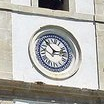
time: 2:52
